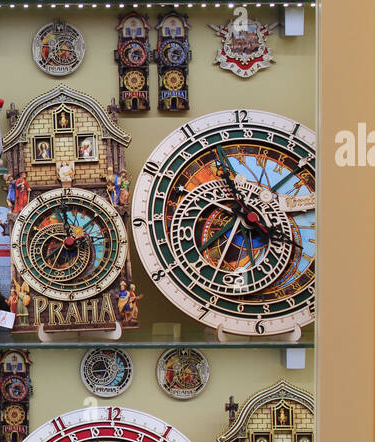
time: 3:34
